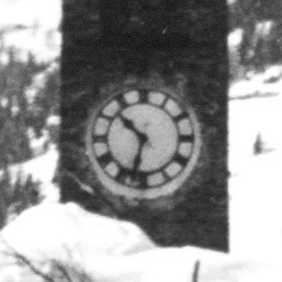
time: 10:32
